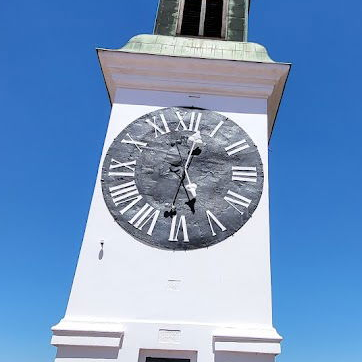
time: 12:26
